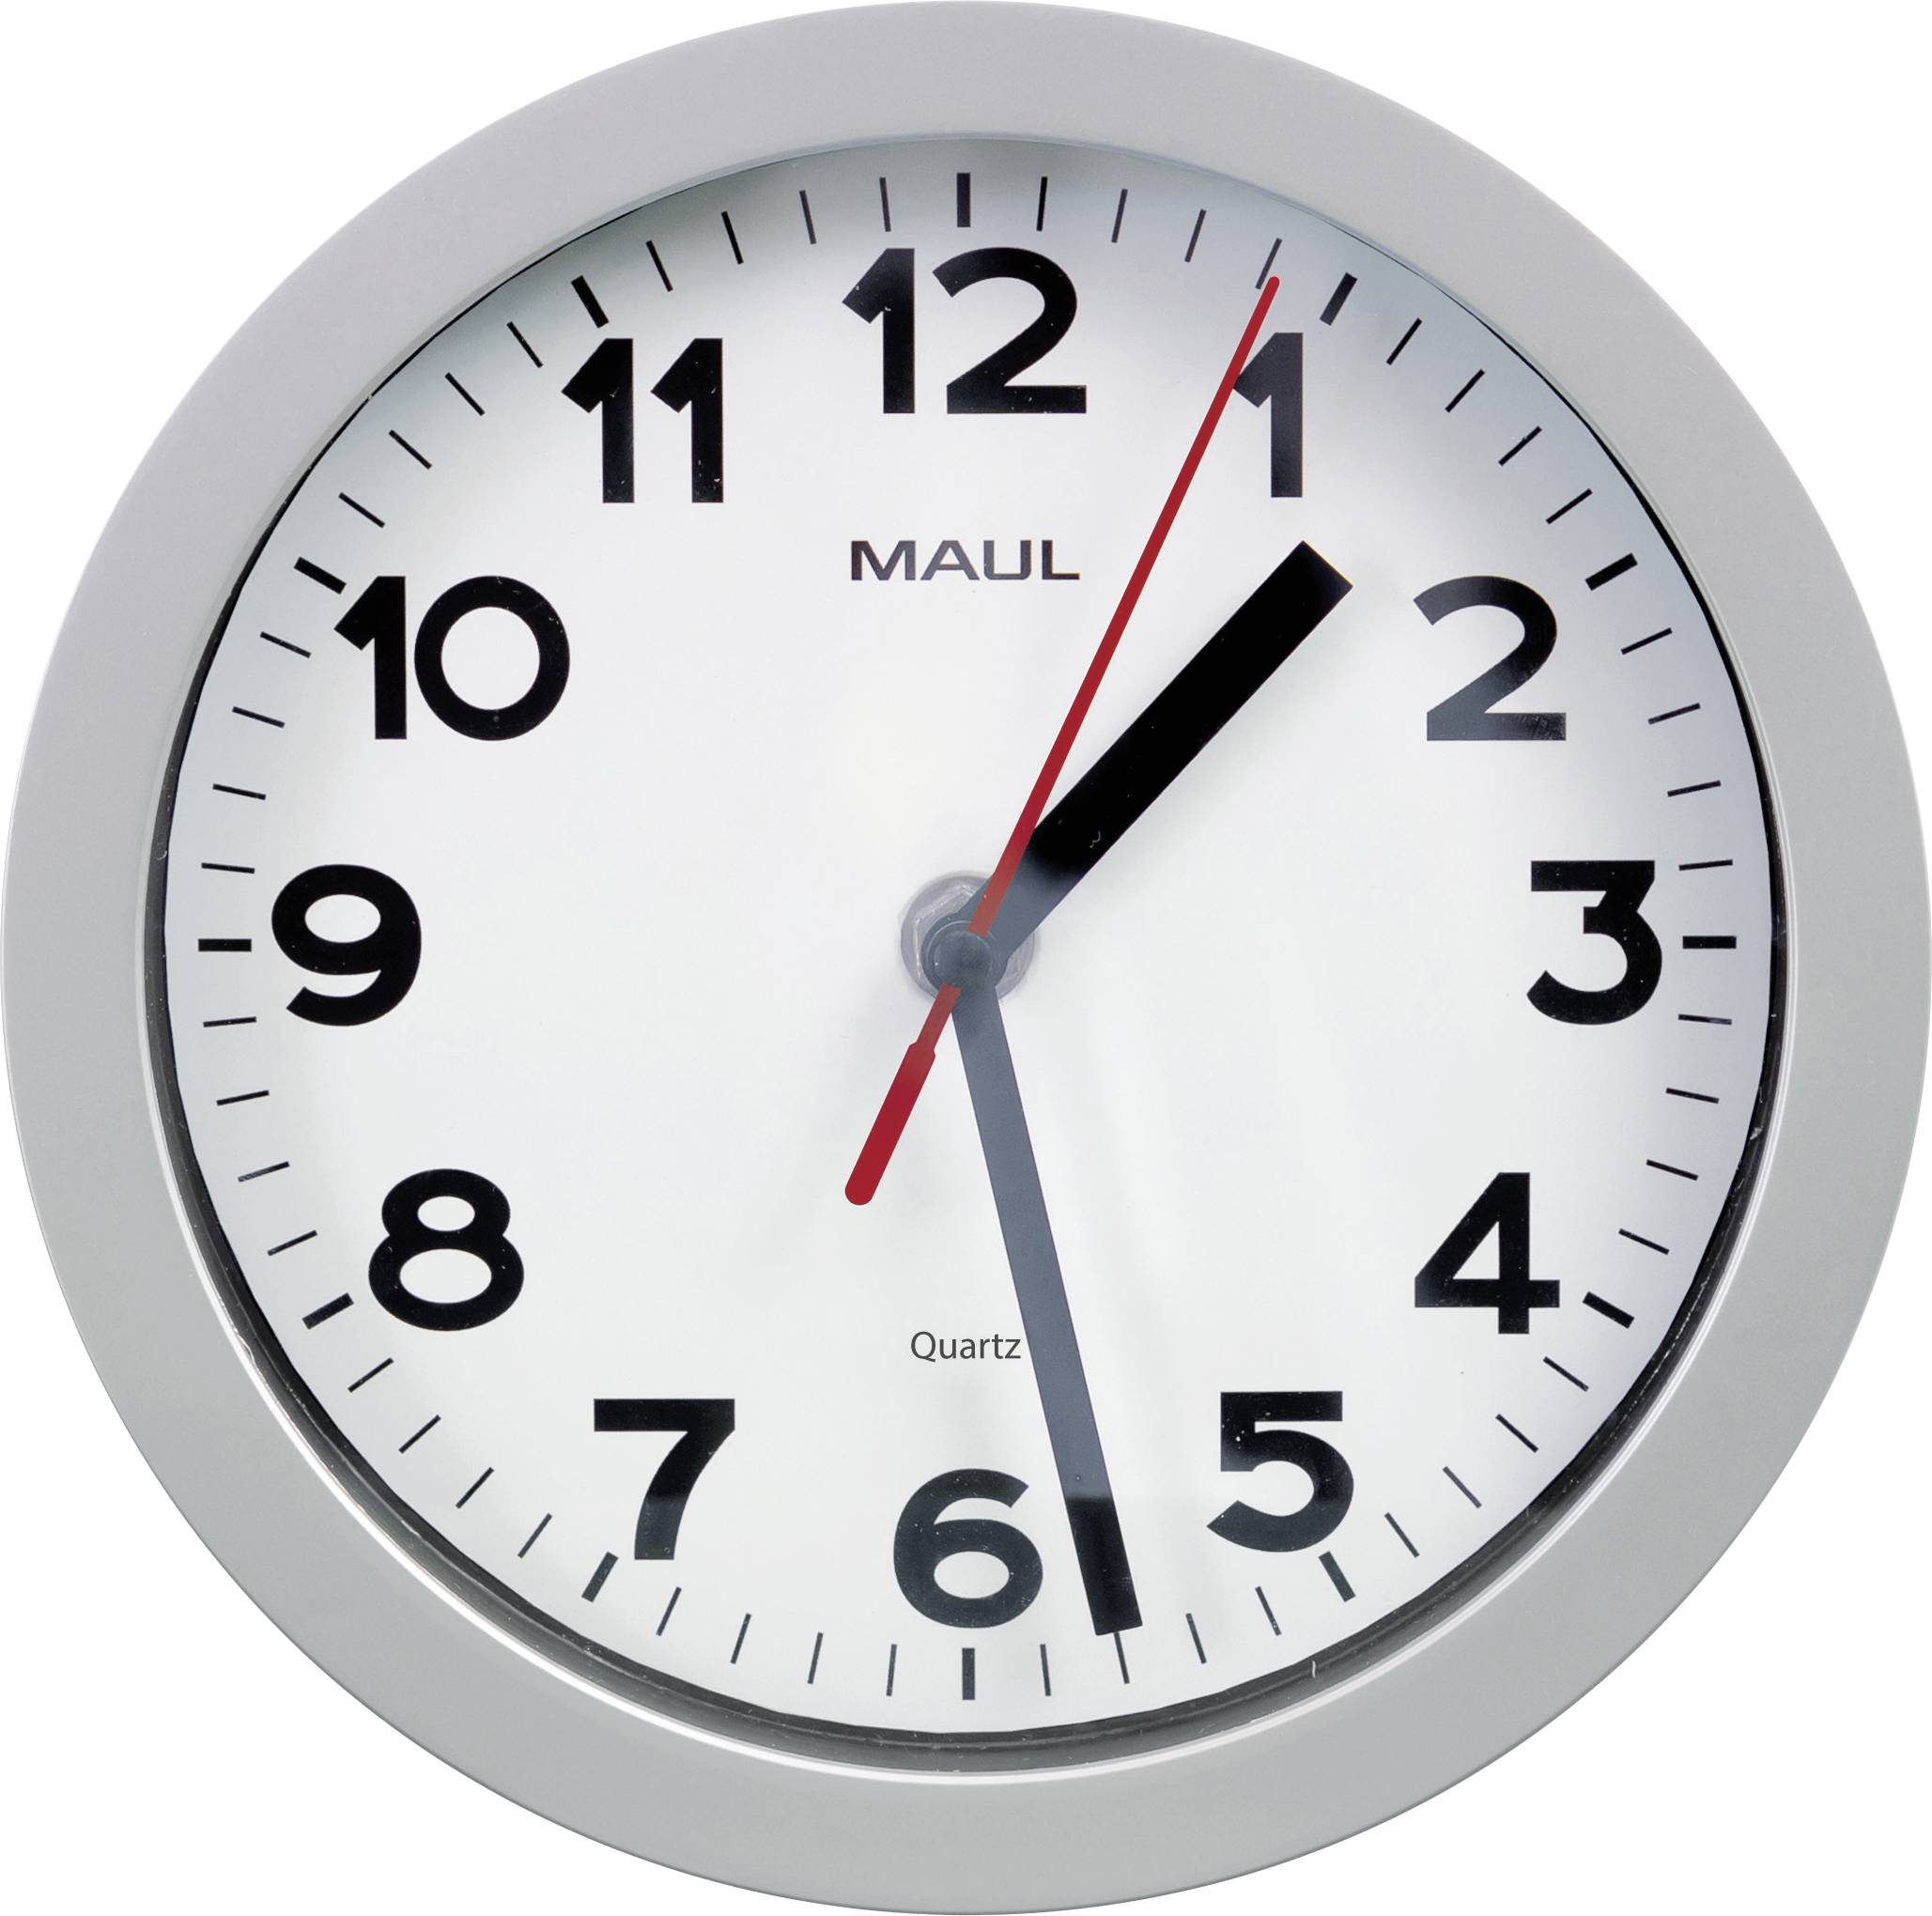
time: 1:28
